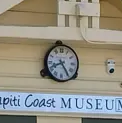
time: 8:24
